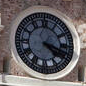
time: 4:17
